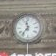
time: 11:36
